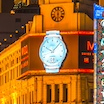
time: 10:07
